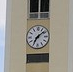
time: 7:08
